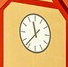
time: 11:36
